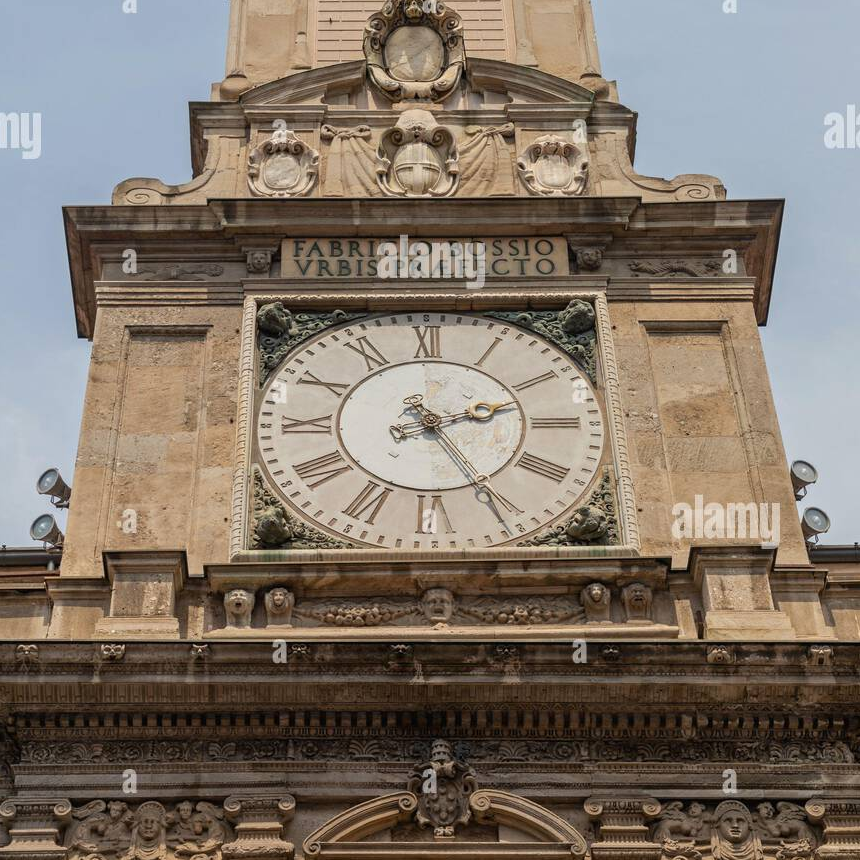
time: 2:25
